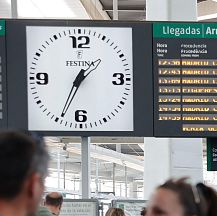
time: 1:34
